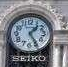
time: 1:24
